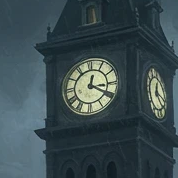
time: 12:19
